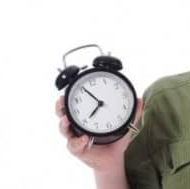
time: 7:55
